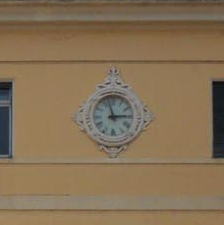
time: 2:57
